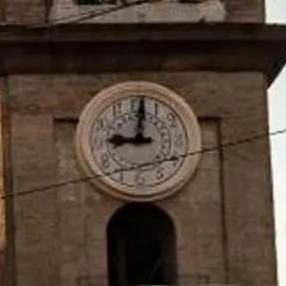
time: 9:01
